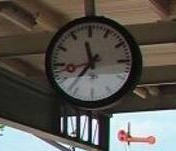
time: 11:36
